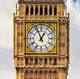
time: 12:56
